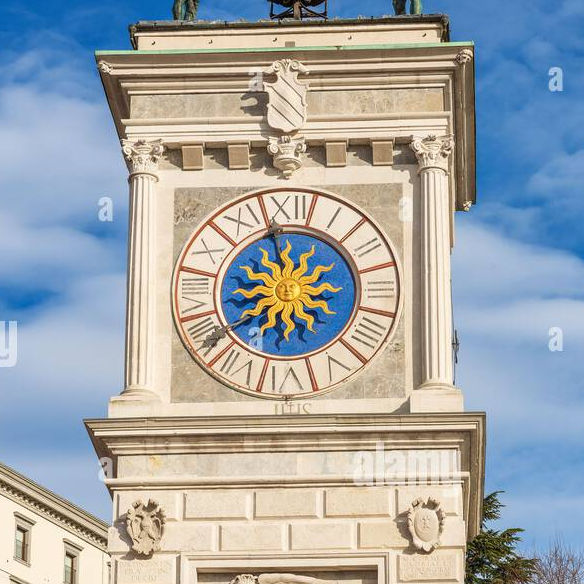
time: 5:57
